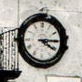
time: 4:15
